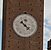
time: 10:22
